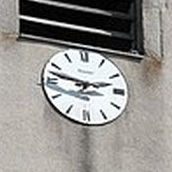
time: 2:47
